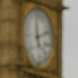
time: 5:11
